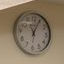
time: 11:04
